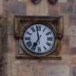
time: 6:58
